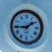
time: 1:44
